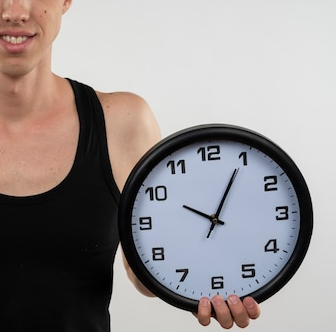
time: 10:04
